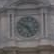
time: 4:50
